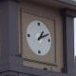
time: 1:10
